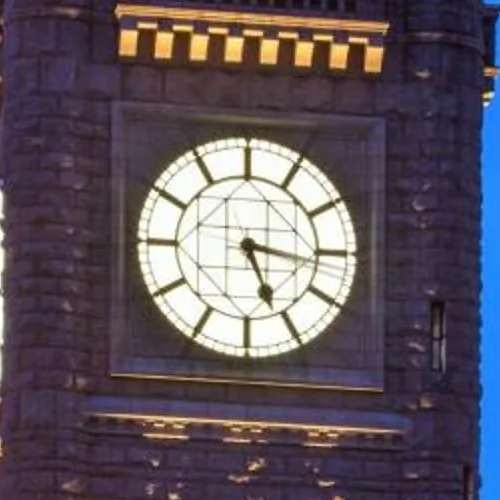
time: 5:16
